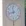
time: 11:42
